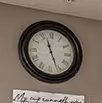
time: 11:26
